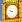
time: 8:47
